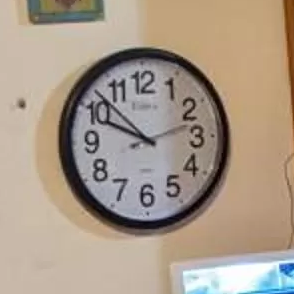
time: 9:52
